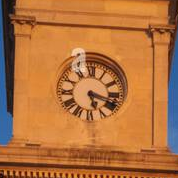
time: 5:18
